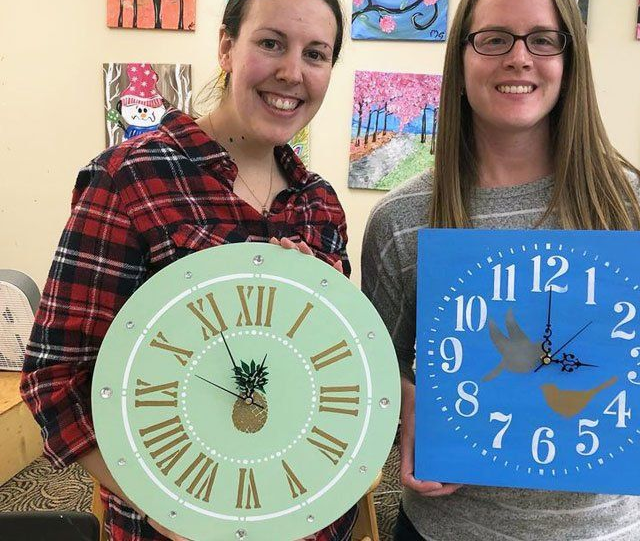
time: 11:55
